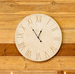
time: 12:53
